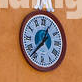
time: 12:37
